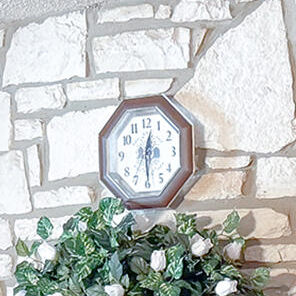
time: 12:30
